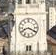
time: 8:19
